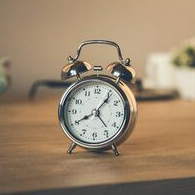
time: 8:06
